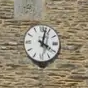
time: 4:02
